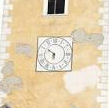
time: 5:50
